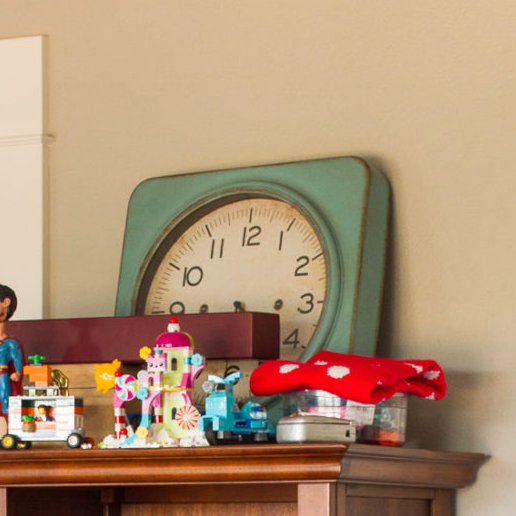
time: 5:45
